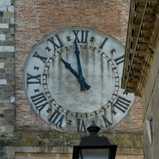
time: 11:52
